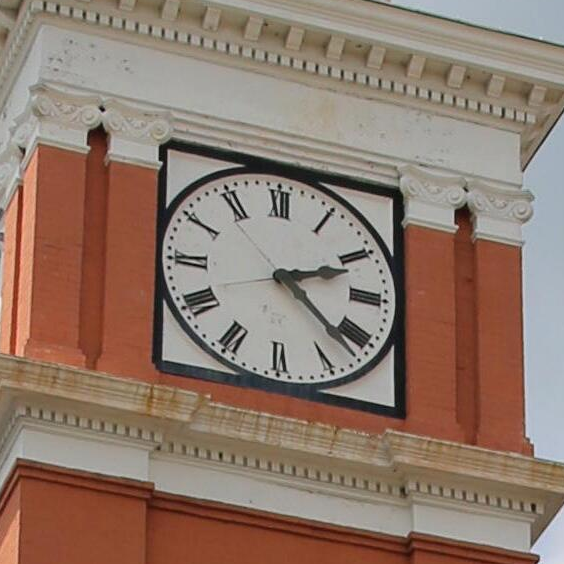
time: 2:21
